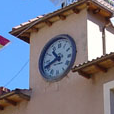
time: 10:41
